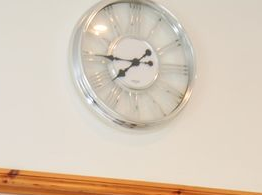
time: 7:45
